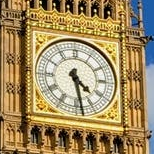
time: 4:28
